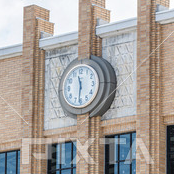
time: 11:31
